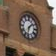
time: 1:32
